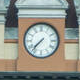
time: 7:37
